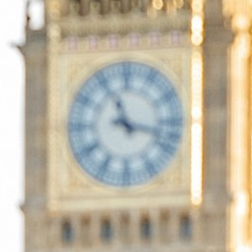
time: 11:17
